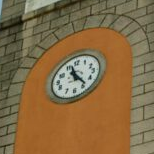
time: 11:23
